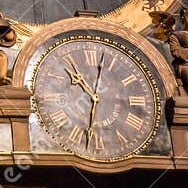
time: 10:02
